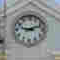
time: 9:11
